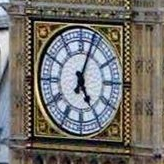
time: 5:03
